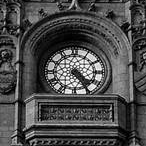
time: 4:24
